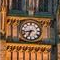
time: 6:42
